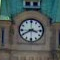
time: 3:40
